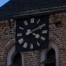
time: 4:10
